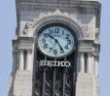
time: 10:24
